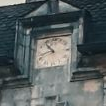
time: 10:42
